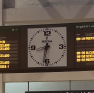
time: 8:32
